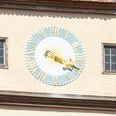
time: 4:19
